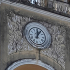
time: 12:05
